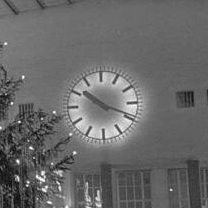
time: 10:18
